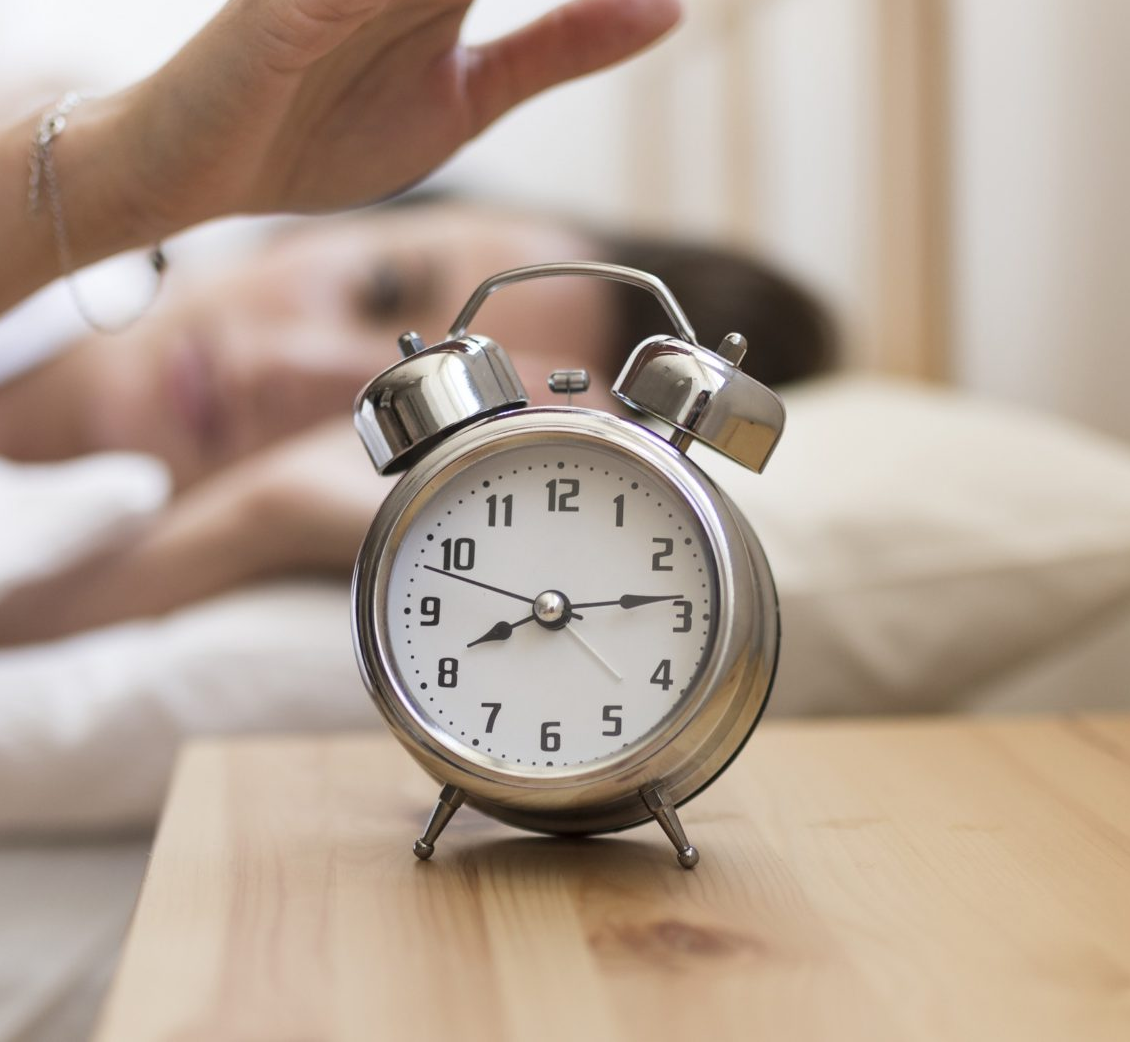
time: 8:13
